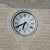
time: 6:40
